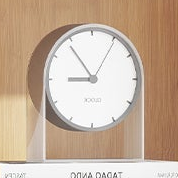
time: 8:54
